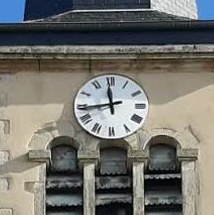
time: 11:43
